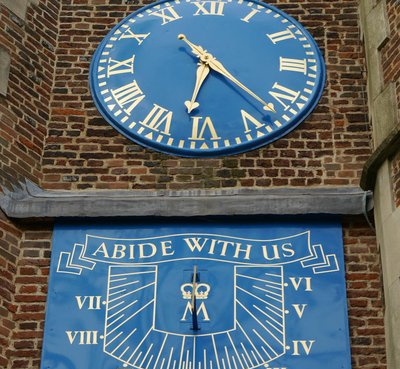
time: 6:22
